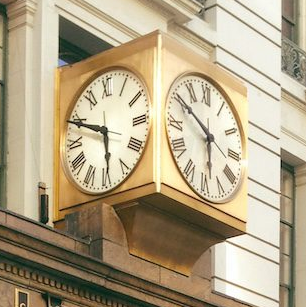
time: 5:49
